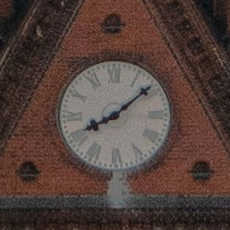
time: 8:08
